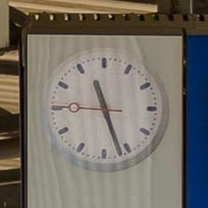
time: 11:26
